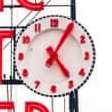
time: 5:05
